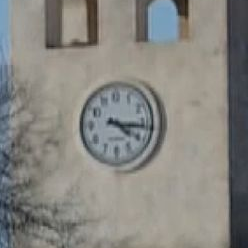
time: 4:16
